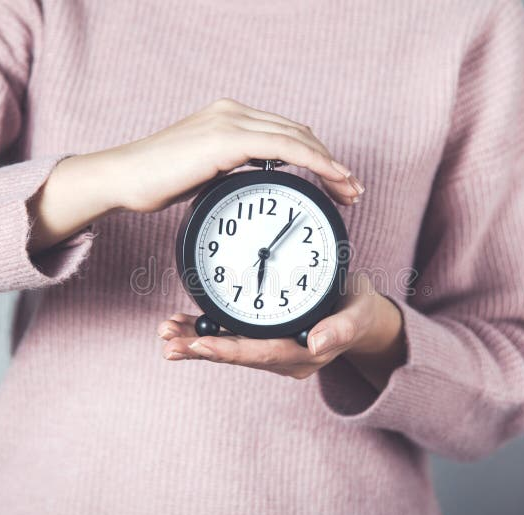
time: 6:06
